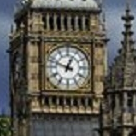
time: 12:48
